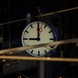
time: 9:00
